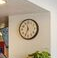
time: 11:33
